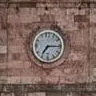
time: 7:15
